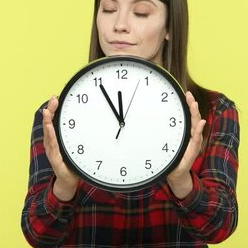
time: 11:54
